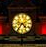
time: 4:36
